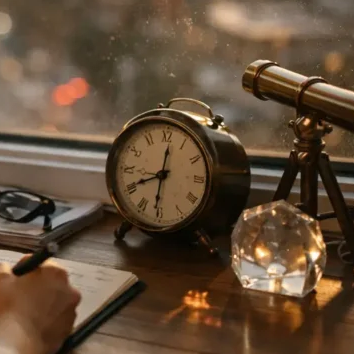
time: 8:01
